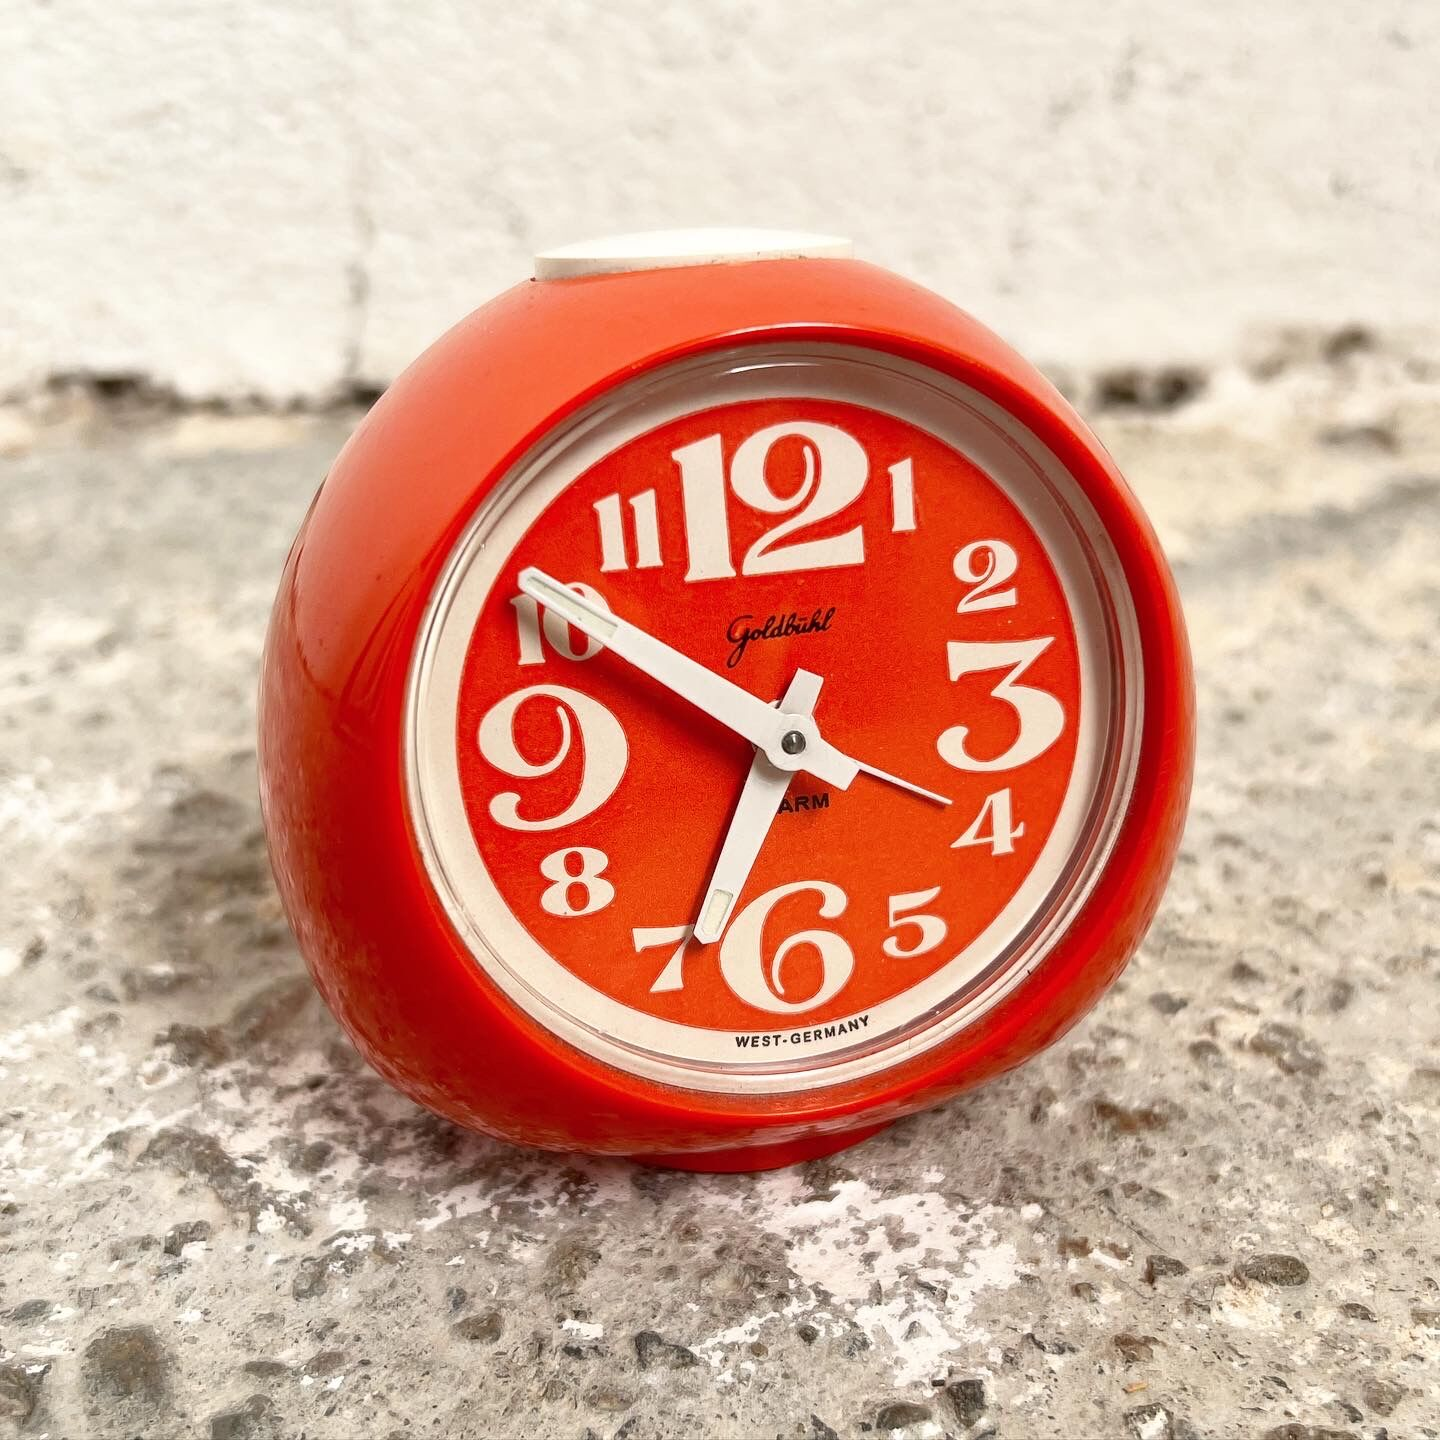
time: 6:50
